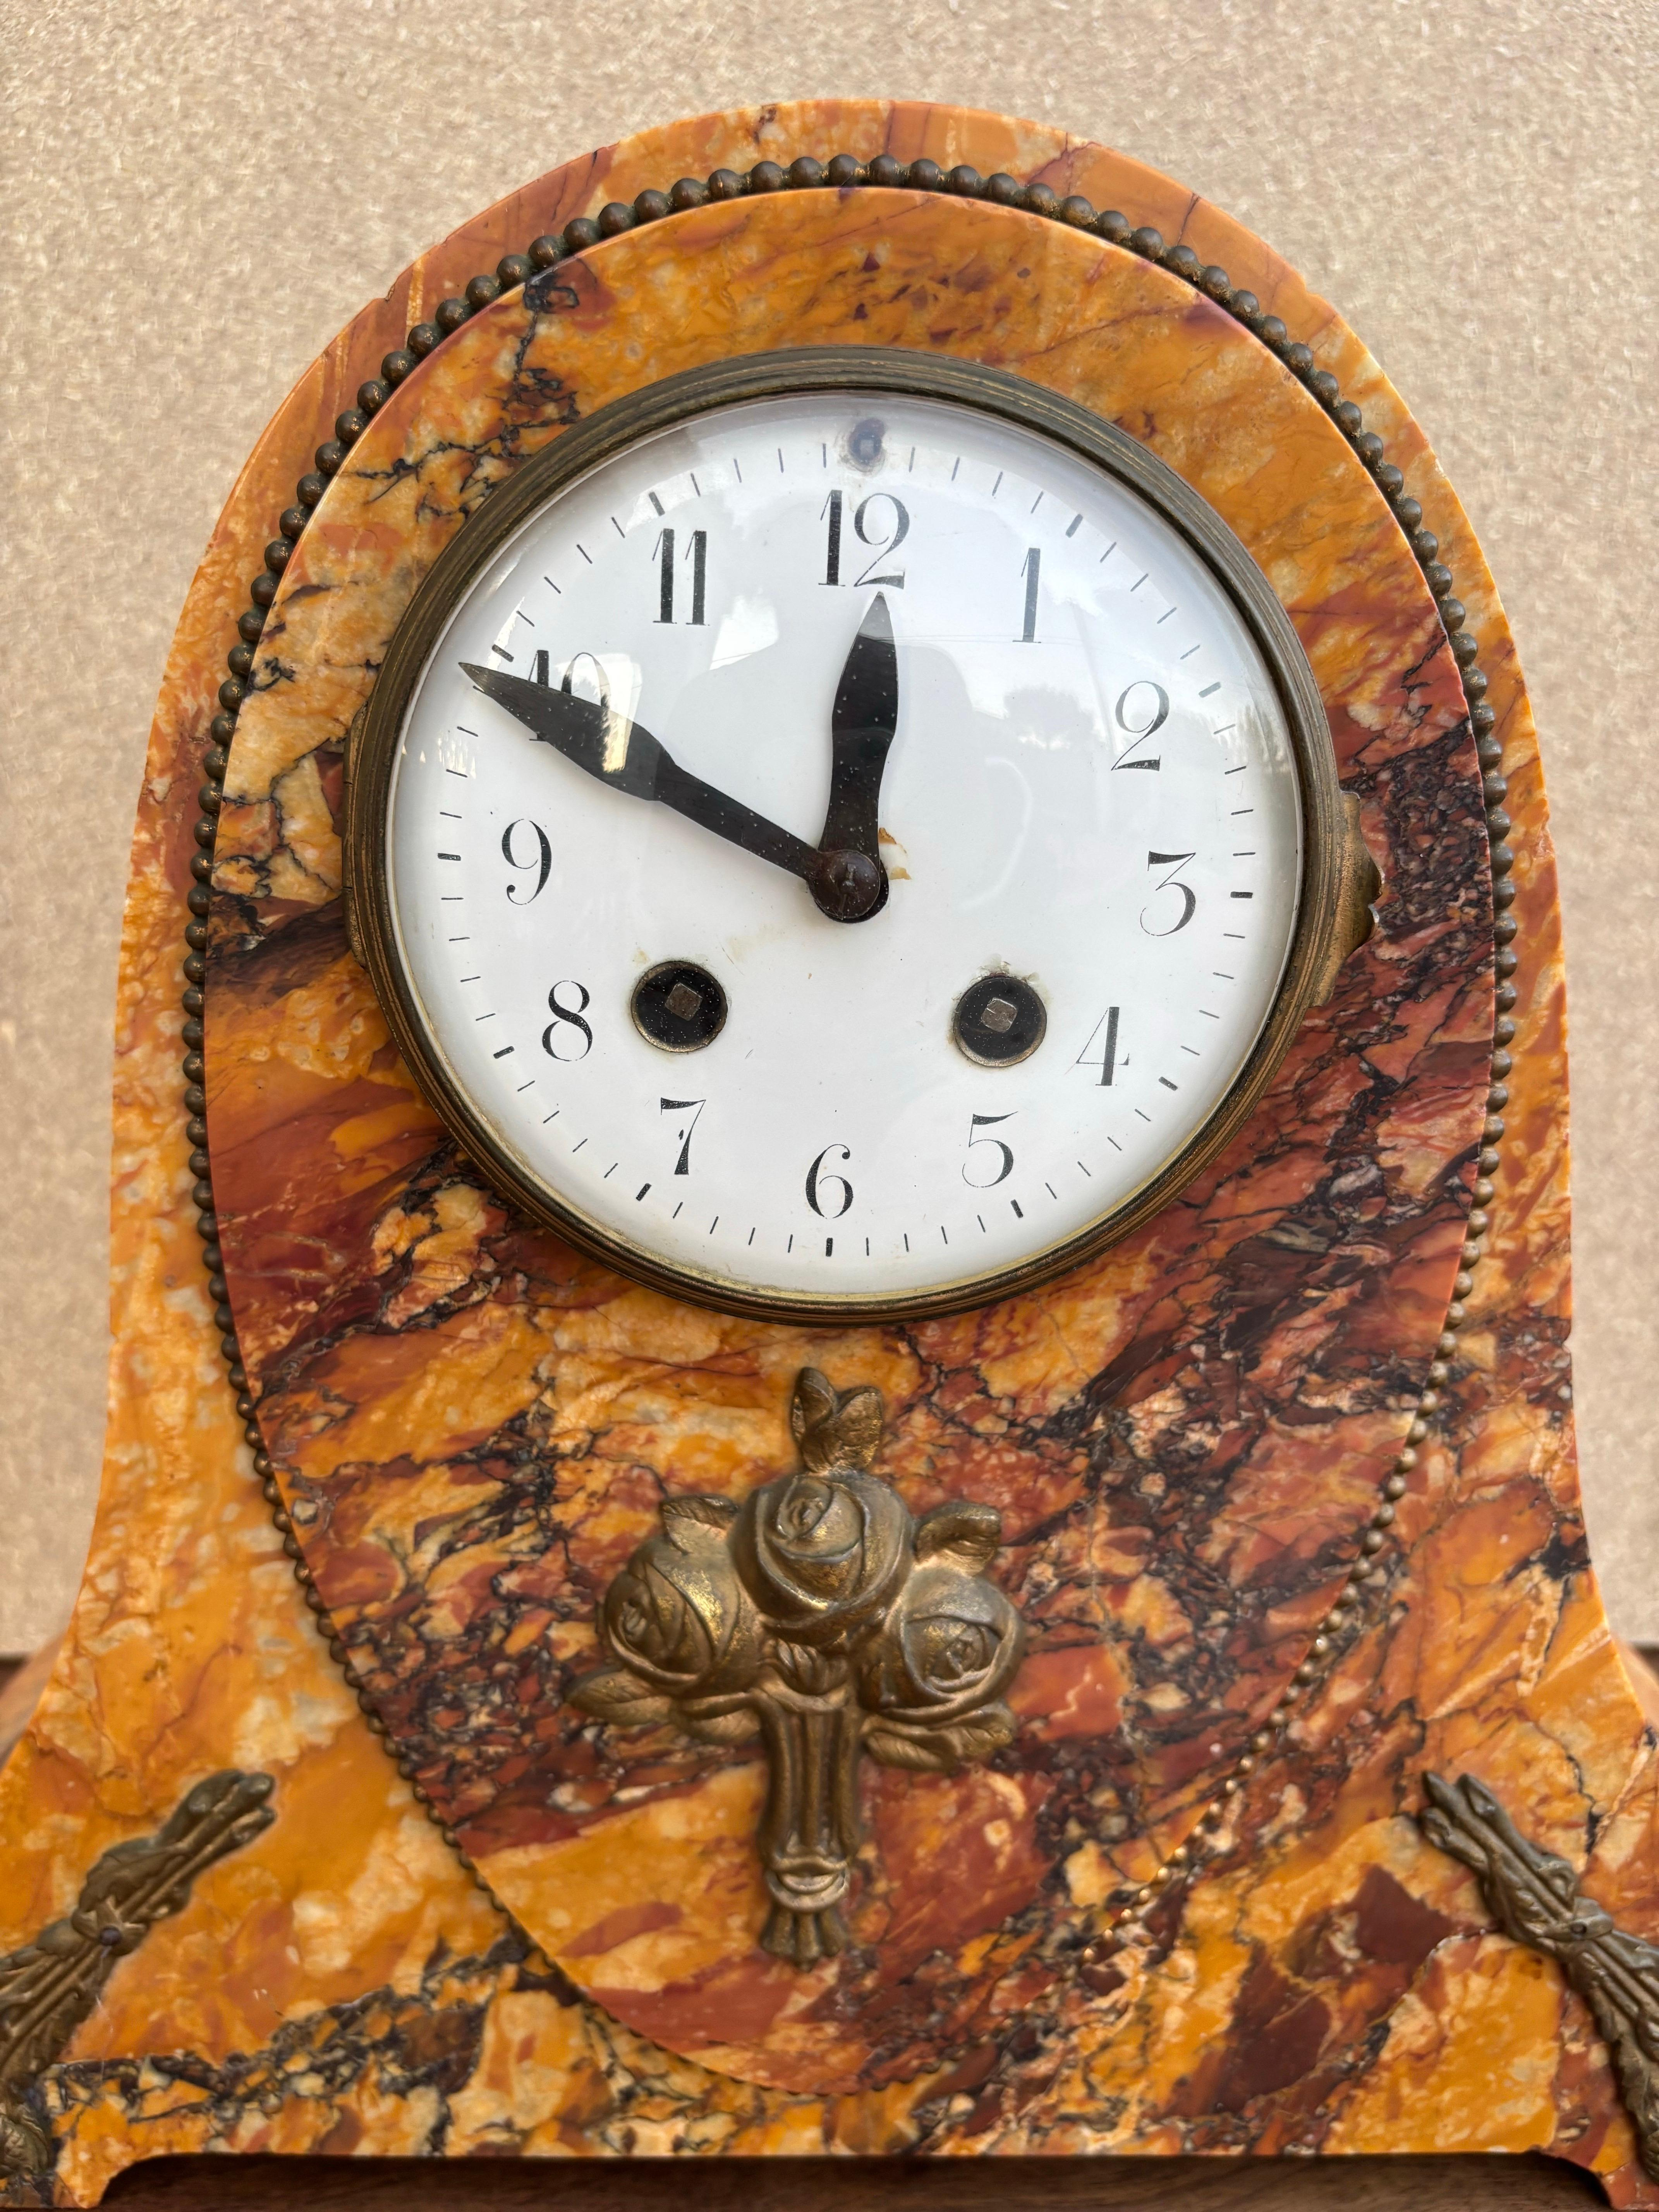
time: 11:49
